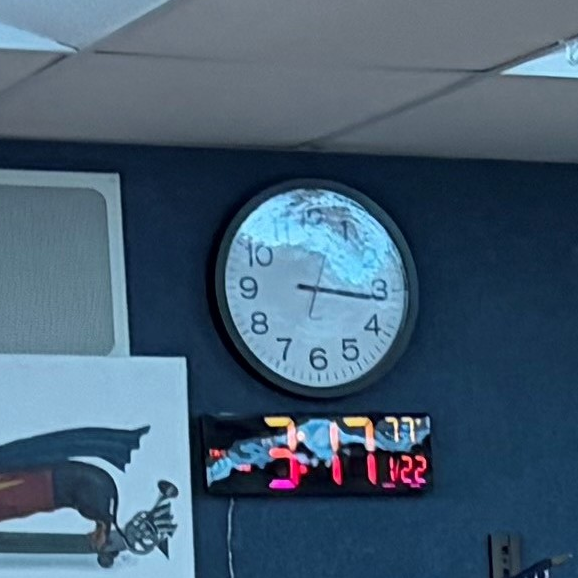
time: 3:16
